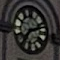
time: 7:12
